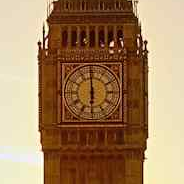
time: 5:59
